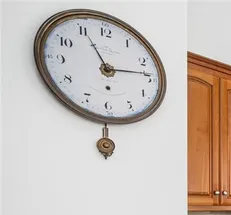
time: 11:13
